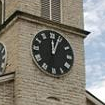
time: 12:03
